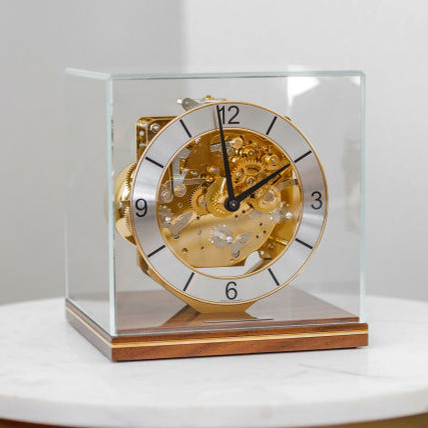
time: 1:59
